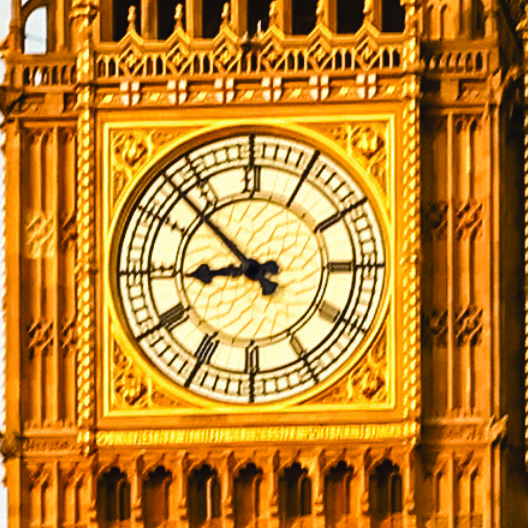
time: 8:52
